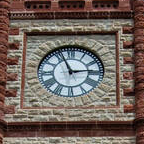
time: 2:56
